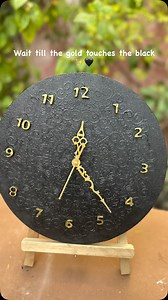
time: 12:23
